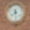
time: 7:27
